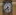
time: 5:38
